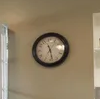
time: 11:28
